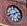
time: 1:41
